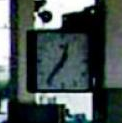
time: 12:36
